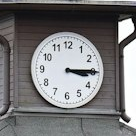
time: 3:14
